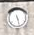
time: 5:27
